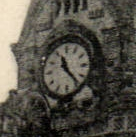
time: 11:23
